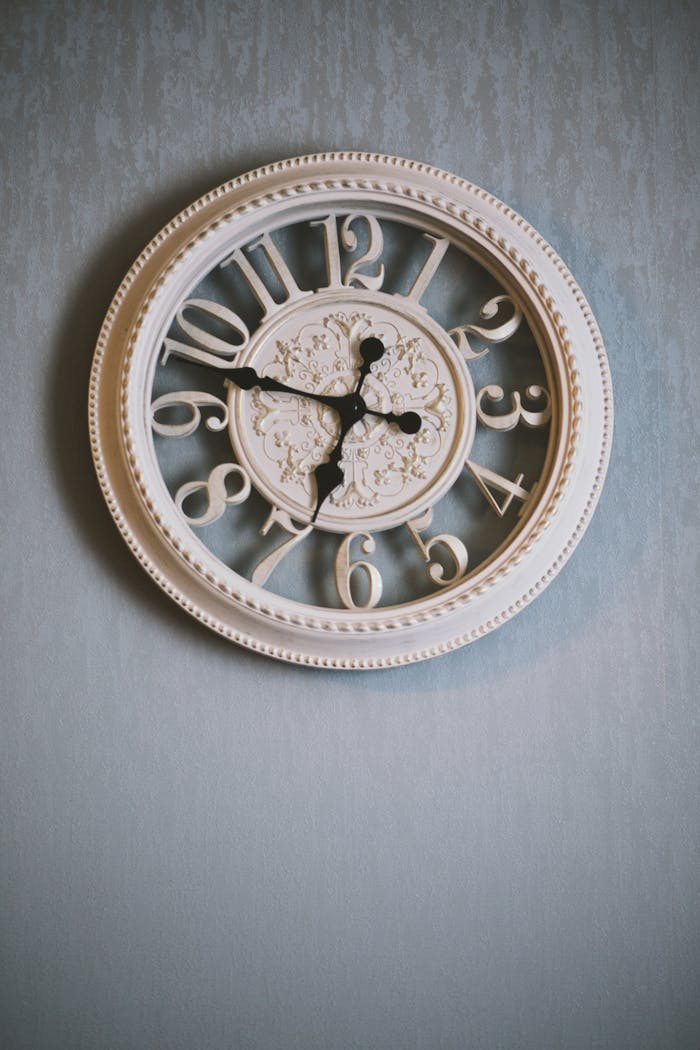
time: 6:47
